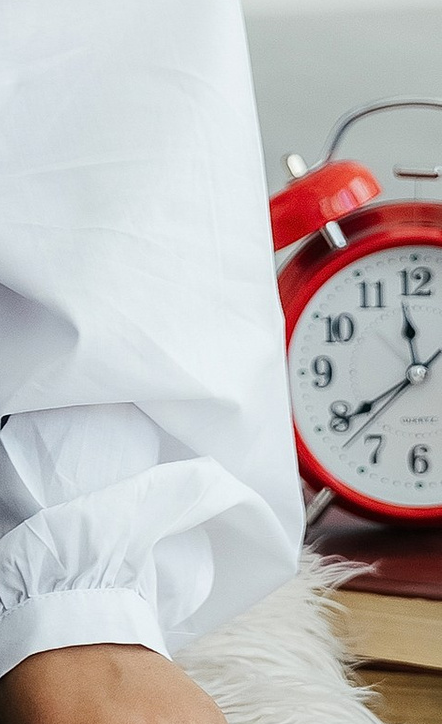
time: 11:39
